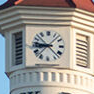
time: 8:46
